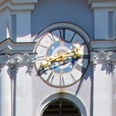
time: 2:40
